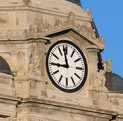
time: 11:44
